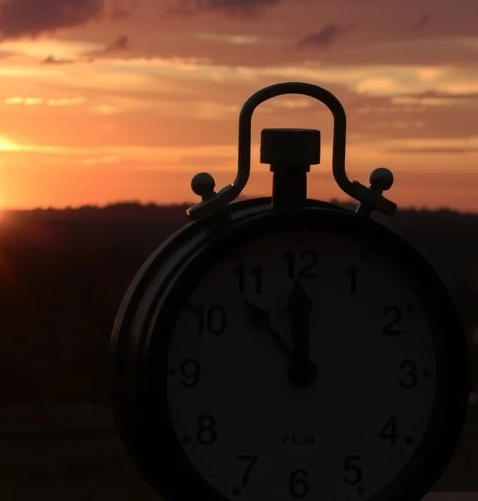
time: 11:53
